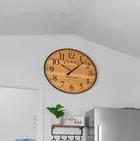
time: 10:07
